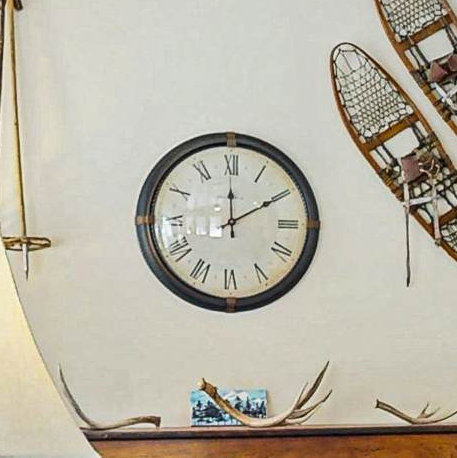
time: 12:09
